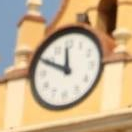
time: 11:49
